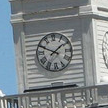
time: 1:49
